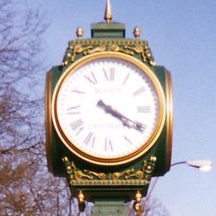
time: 4:20
